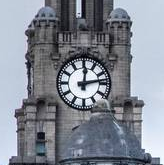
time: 12:13
